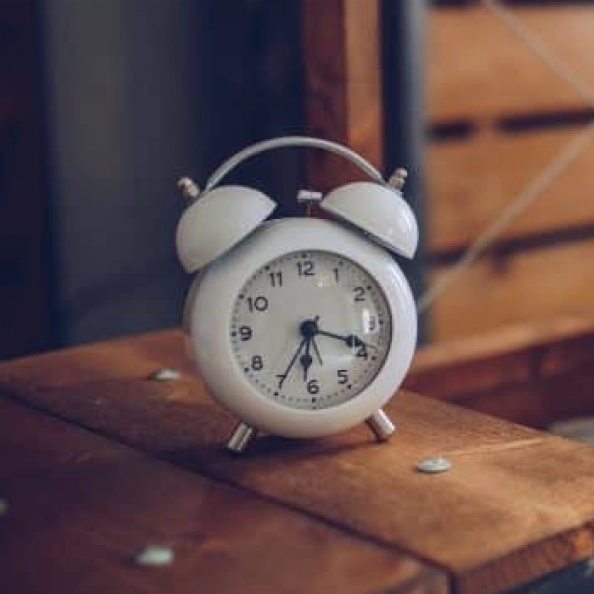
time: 6:18
